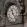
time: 11:23
